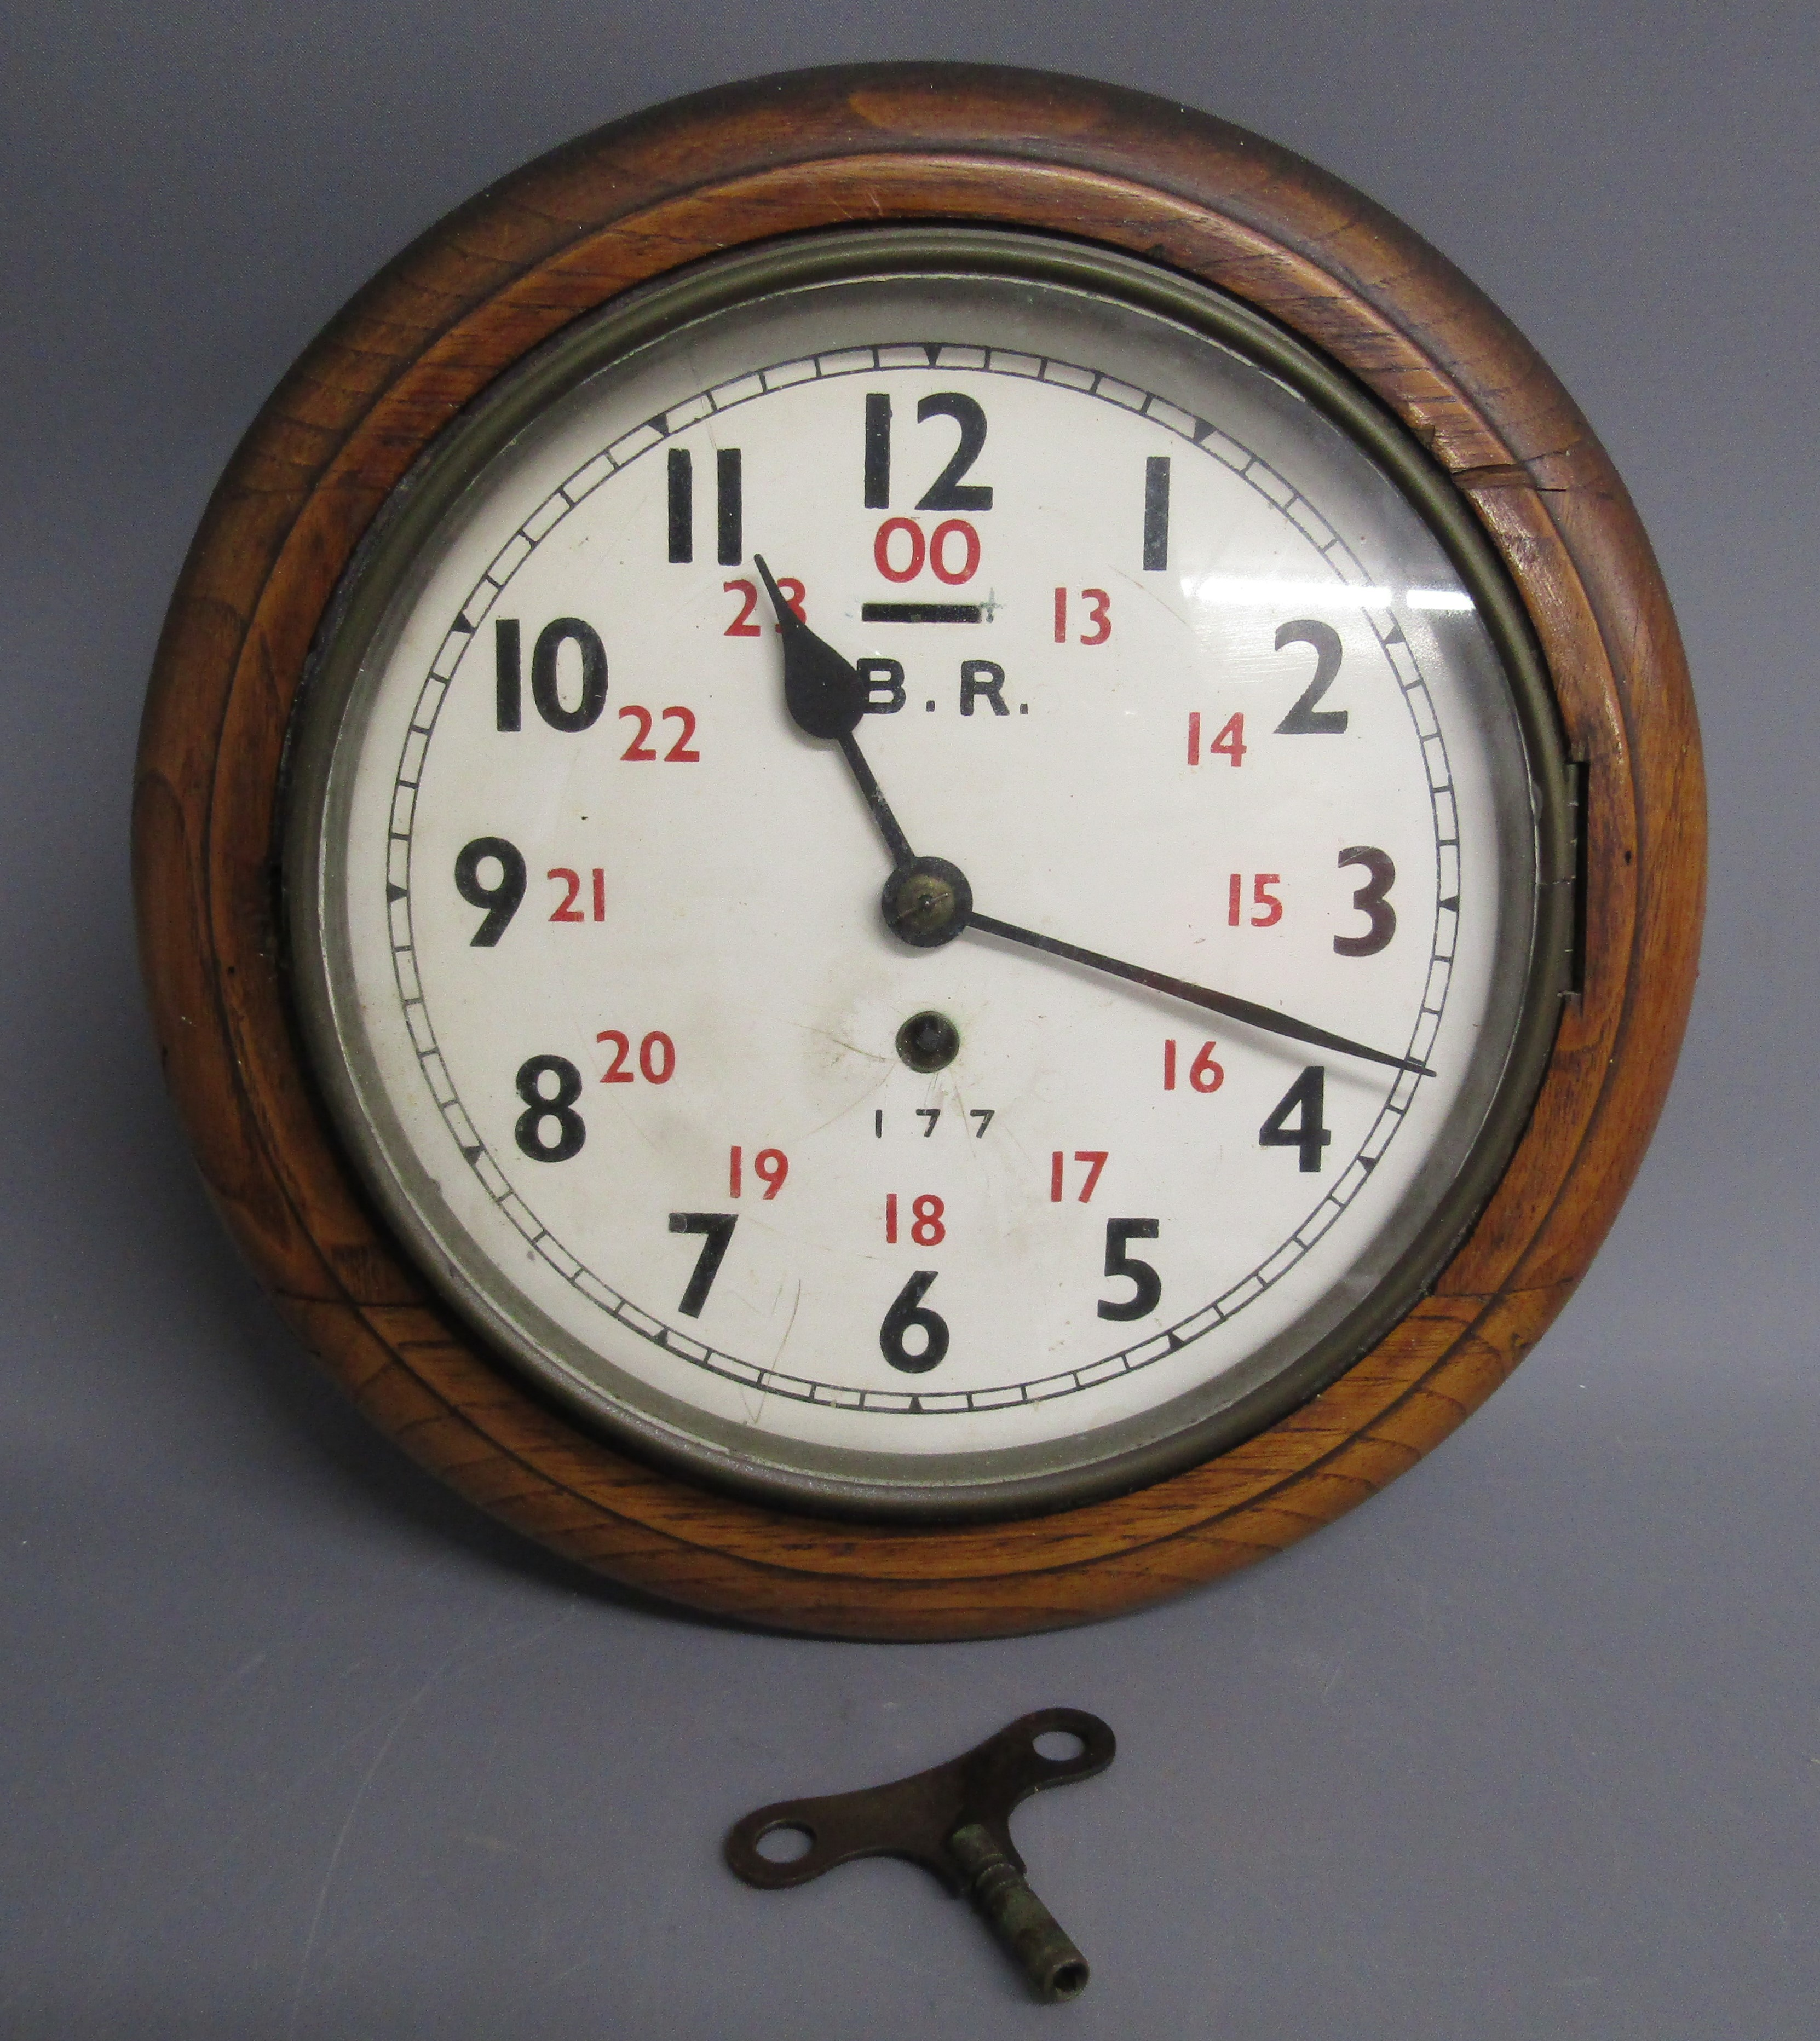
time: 11:18
